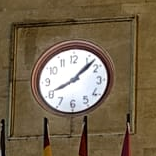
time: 8:07
